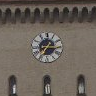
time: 7:15
